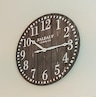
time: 10:14
